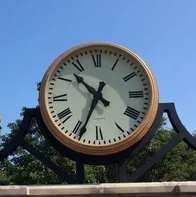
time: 10:34
